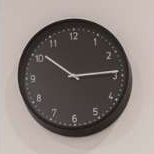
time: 10:14
